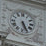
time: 5:26
